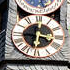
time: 6:18
